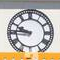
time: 9:45
